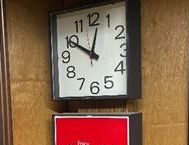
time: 10:02
